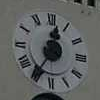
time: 12:35
